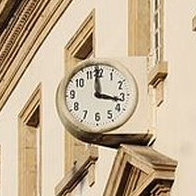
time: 3:16
